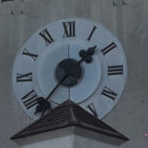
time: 1:37
